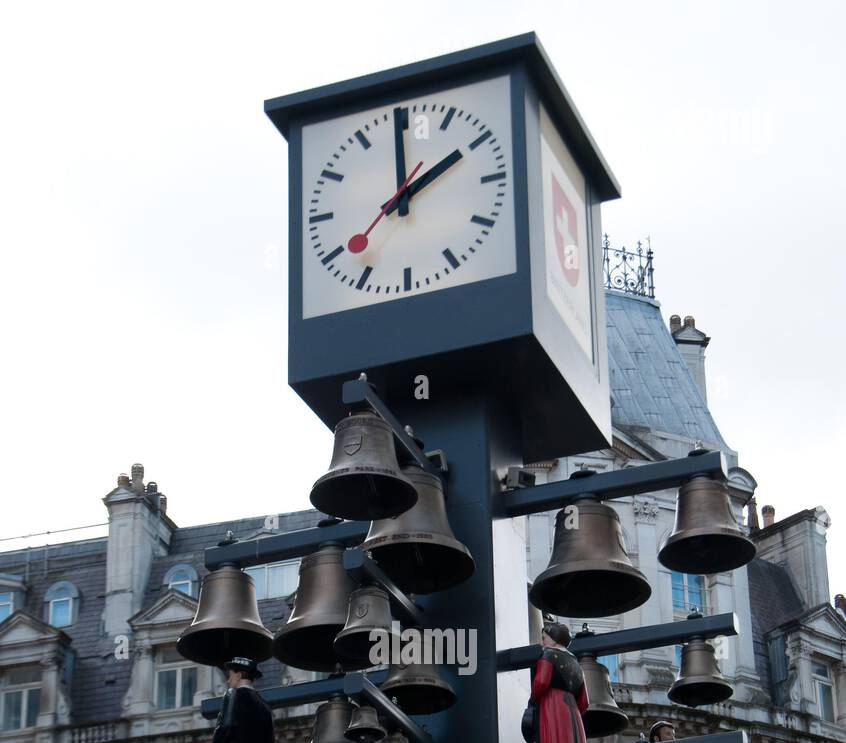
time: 1:59
